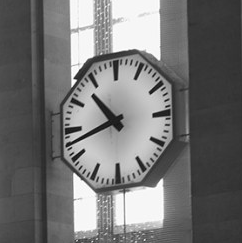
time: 10:42
